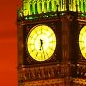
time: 6:27
